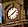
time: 1:38
